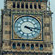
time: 4:16
